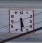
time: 5:30
